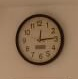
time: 12:14
